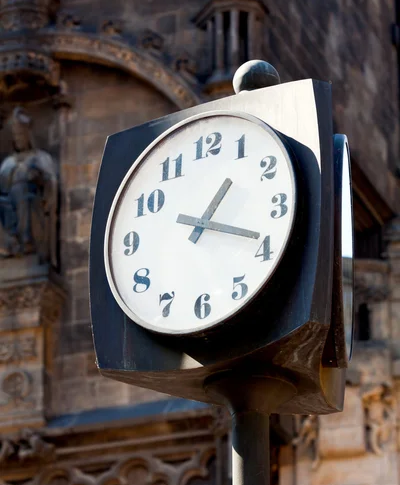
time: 1:18
